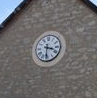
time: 3:30
